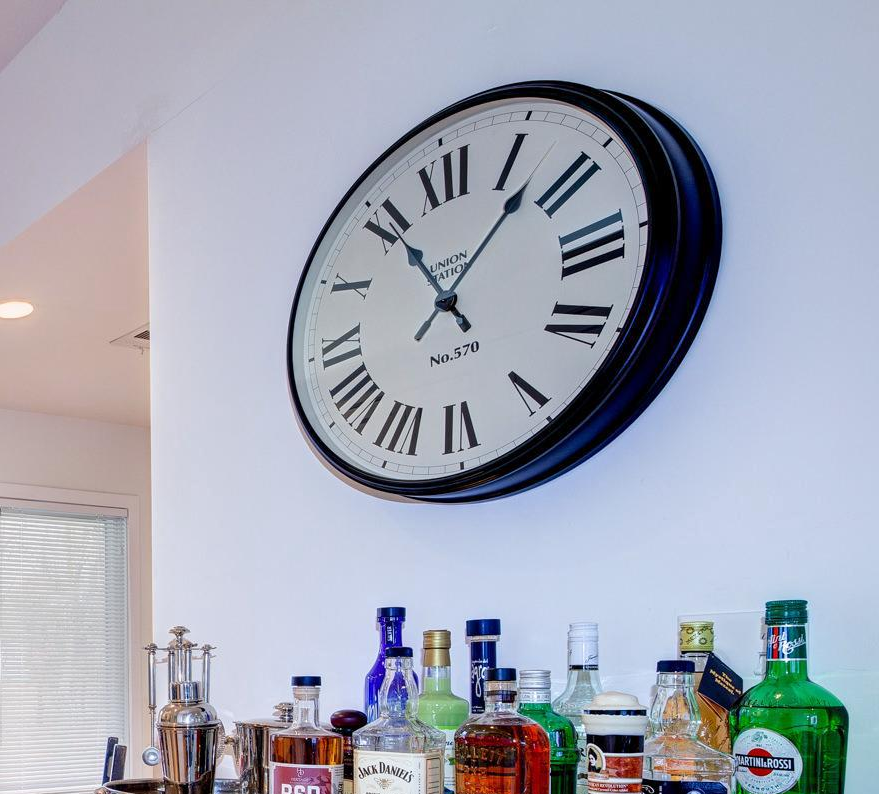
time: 11:07
